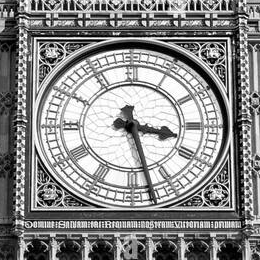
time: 3:27
